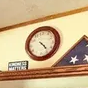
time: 4:23
